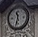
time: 11:32
